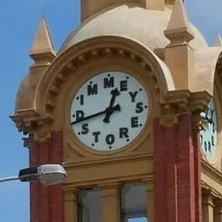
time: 12:43
